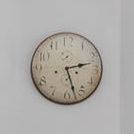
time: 2:27
